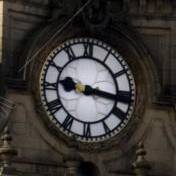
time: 9:16
